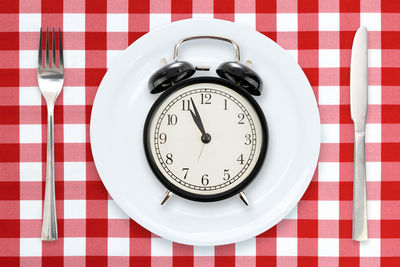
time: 10:56
